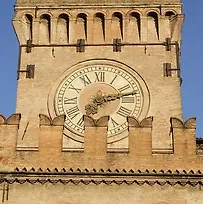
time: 7:12
